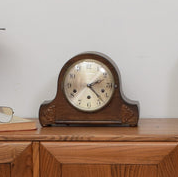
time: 2:23
